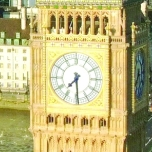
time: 7:29
